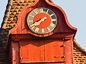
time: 7:40
